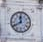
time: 11:40
